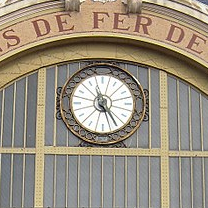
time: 11:25
